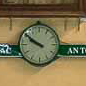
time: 9:50
